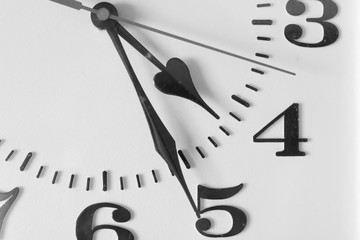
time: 4:26
